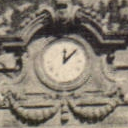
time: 12:07
